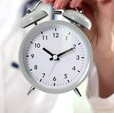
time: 10:10
